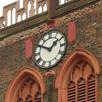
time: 1:50
